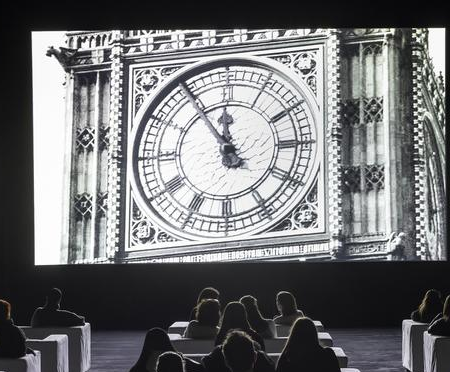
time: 11:54
